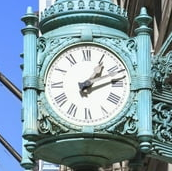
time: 1:12
